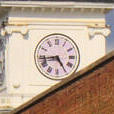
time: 4:43
